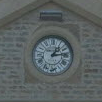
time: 1:13
